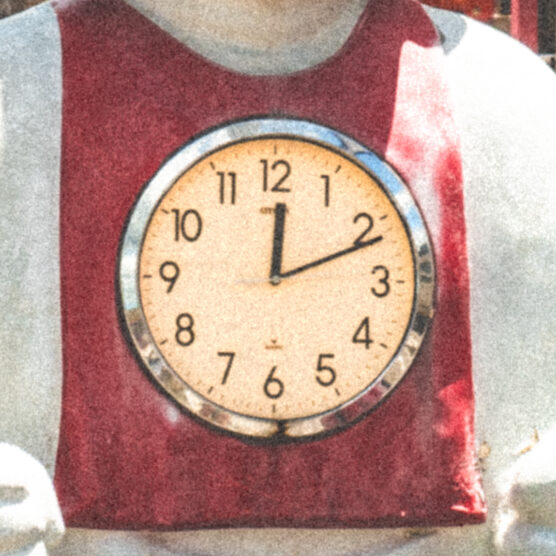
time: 12:11
